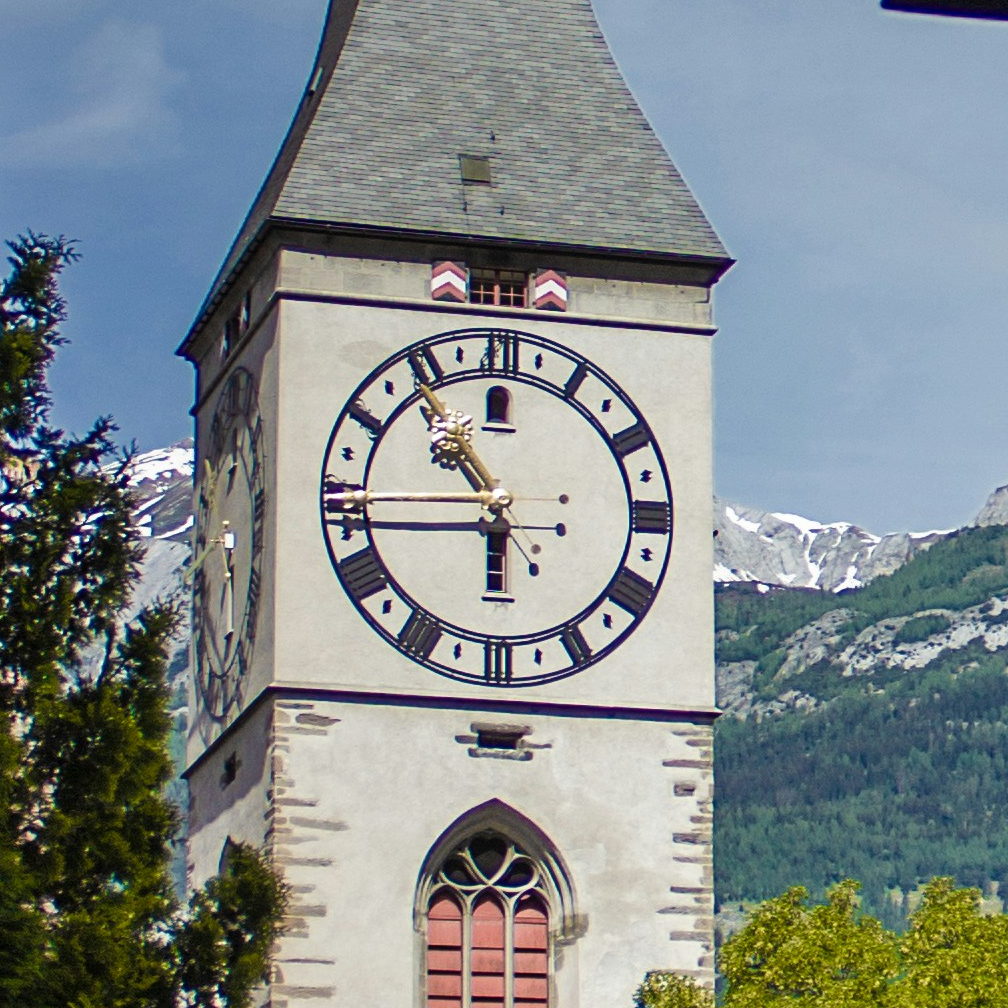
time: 5:53
